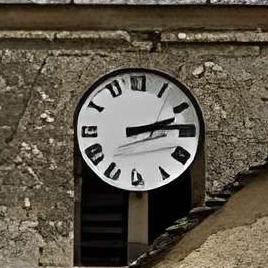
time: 2:13
